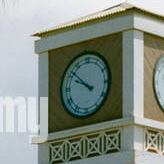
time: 9:51
